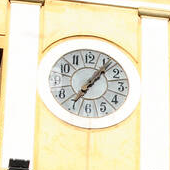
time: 7:06
